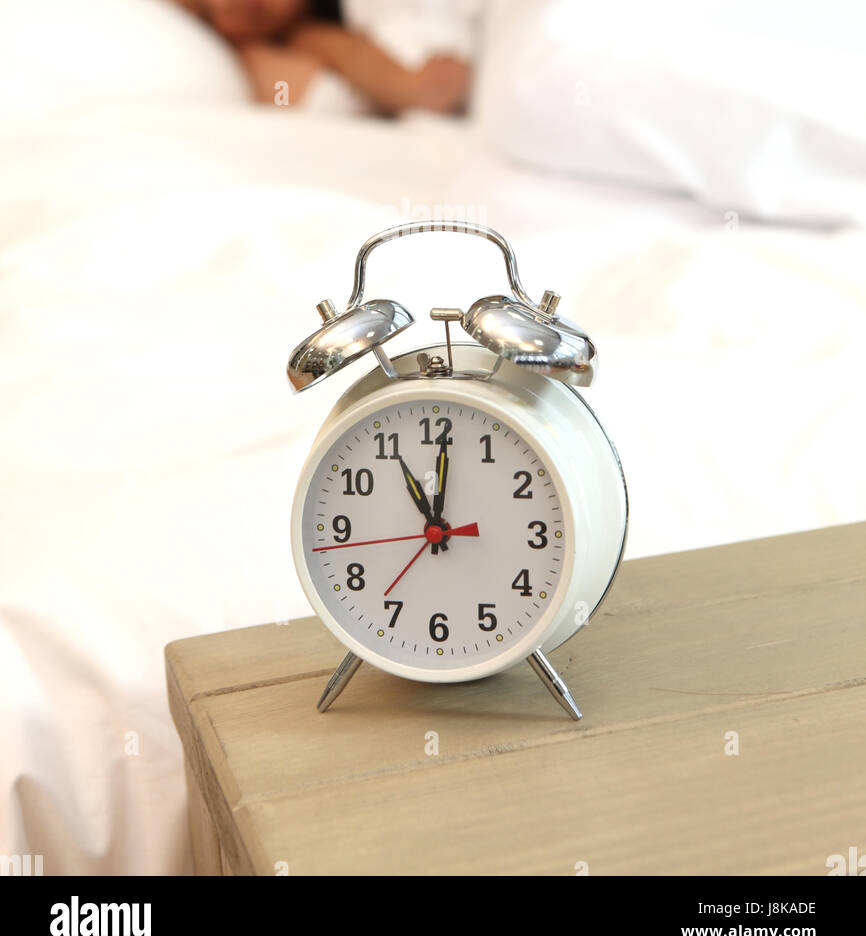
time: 11:00
